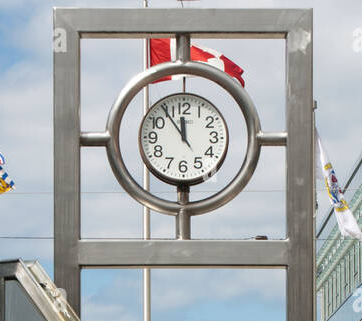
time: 11:53
